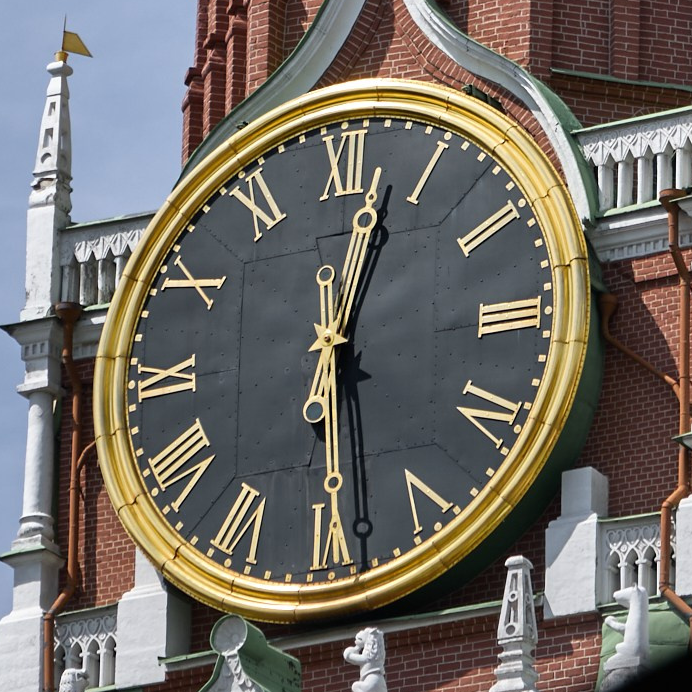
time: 12:29
